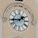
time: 1:44
